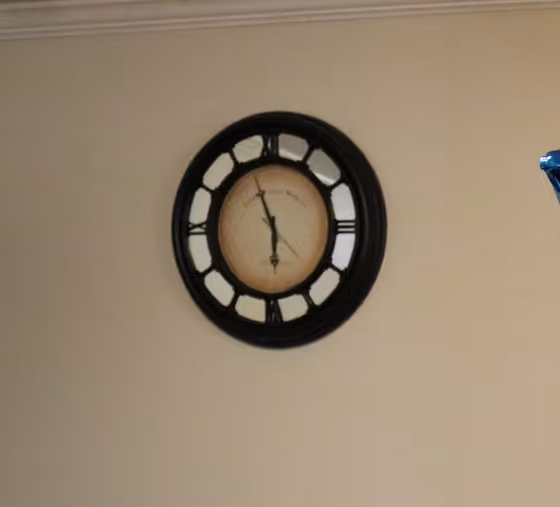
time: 5:56
